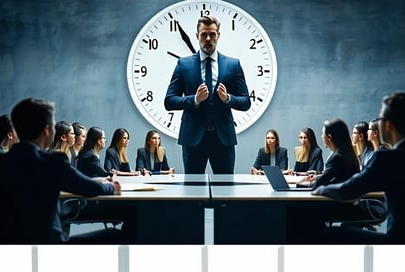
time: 11:55
